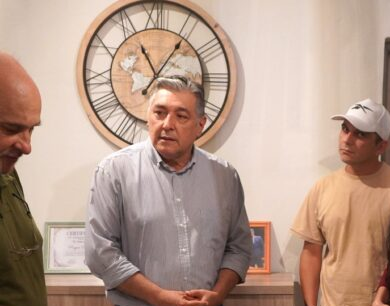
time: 11:06
